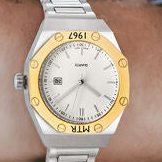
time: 4:20
